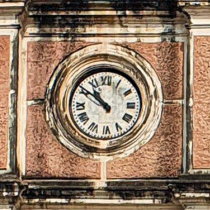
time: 10:51
